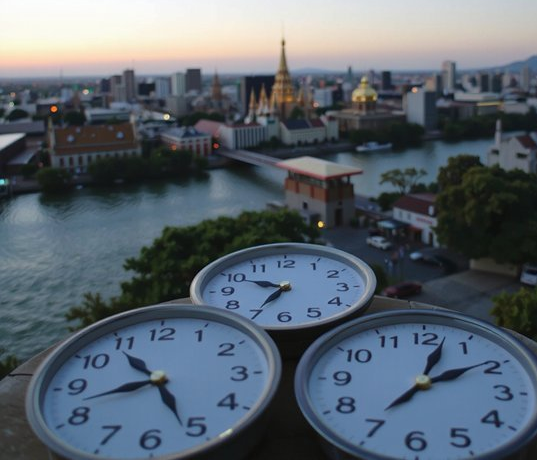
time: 8:26
